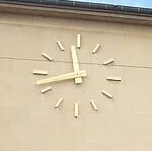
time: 11:42
